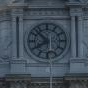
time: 7:52
